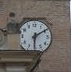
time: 6:09
